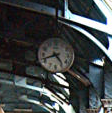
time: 4:42
